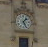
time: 1:26
